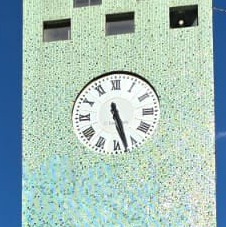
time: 5:27
